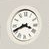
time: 3:40
